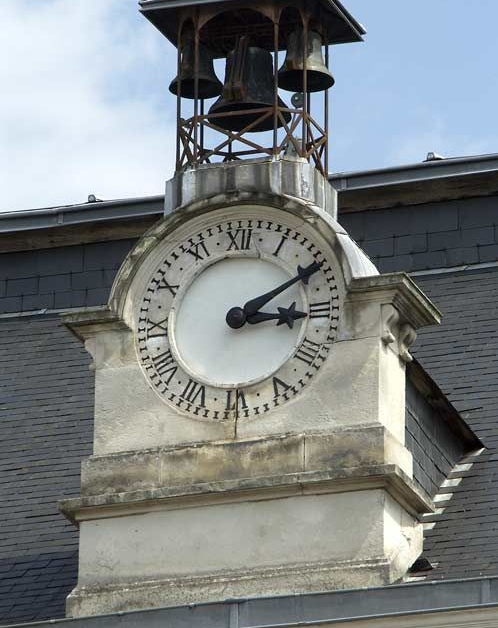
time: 3:10
